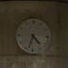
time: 4:33
